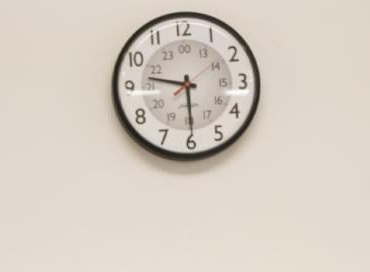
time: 9:29
